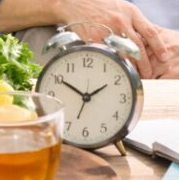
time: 1:50
